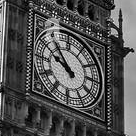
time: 9:53
